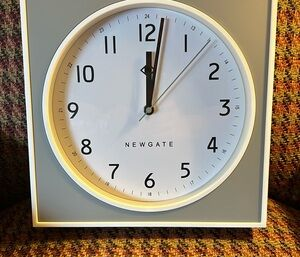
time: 12:01
